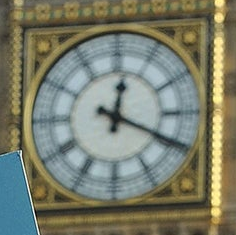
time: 12:19
